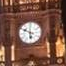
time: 5:49
